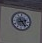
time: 2:23
